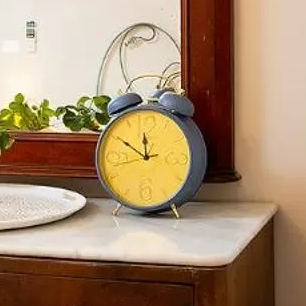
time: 11:50
